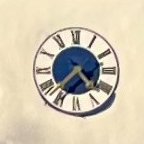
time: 4:37
